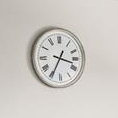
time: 3:34
